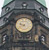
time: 9:38
